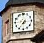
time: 7:14
